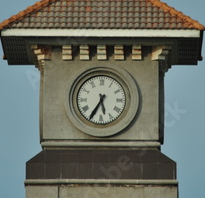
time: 5:35
